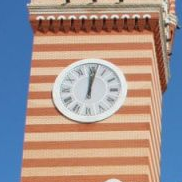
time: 12:01
